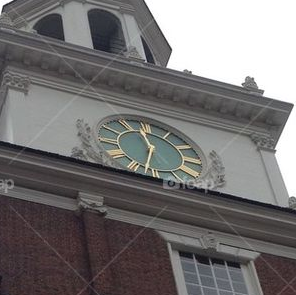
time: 11:32
